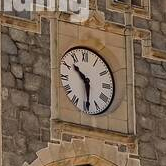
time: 10:29
